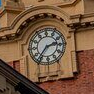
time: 2:36
